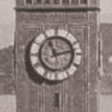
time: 11:12
